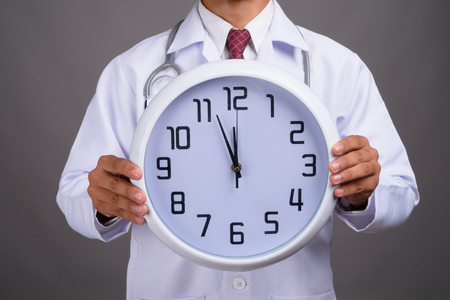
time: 11:56
